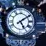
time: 5:09
